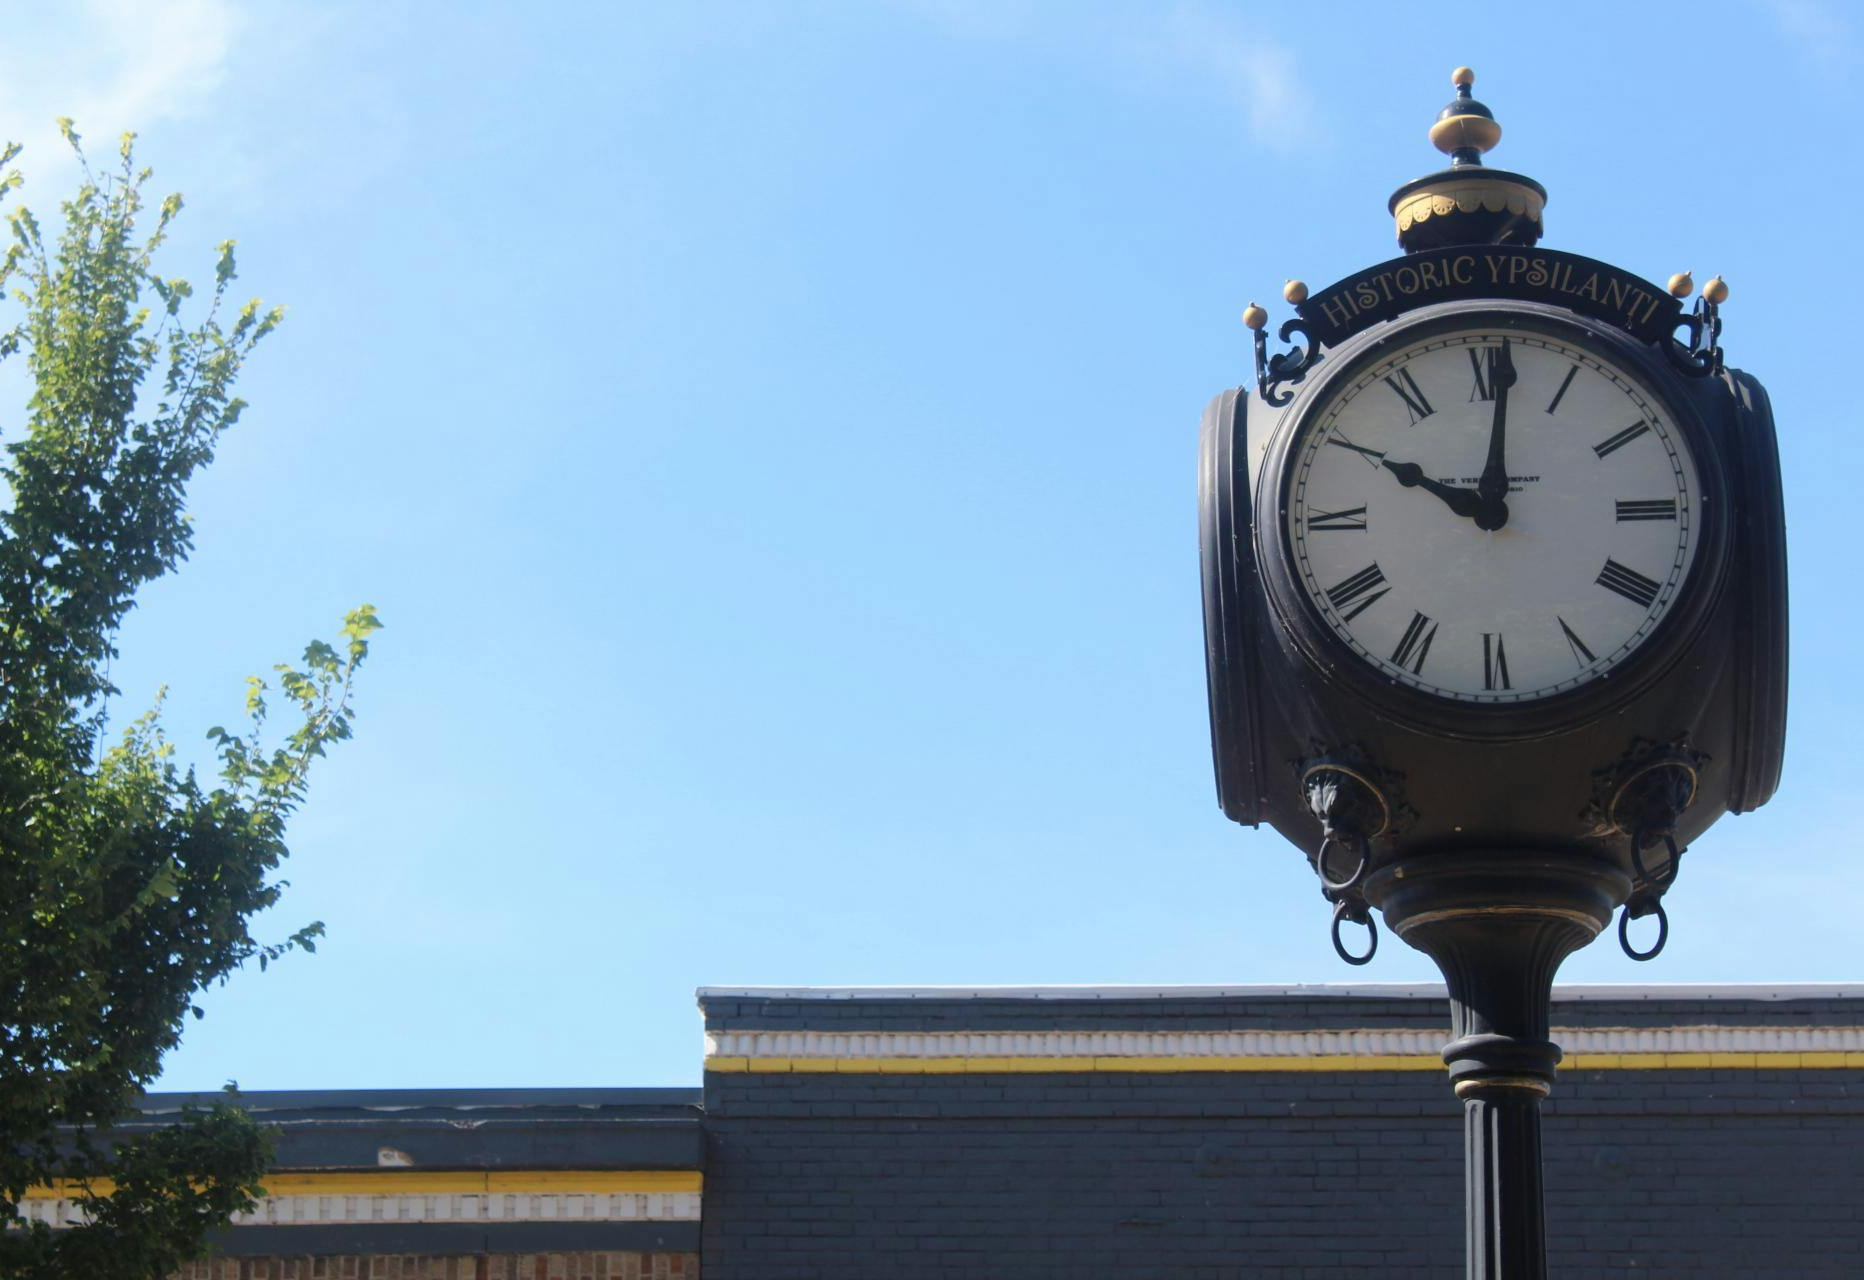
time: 10:00
